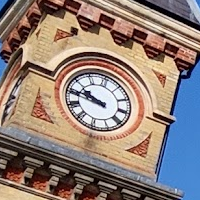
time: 9:45
